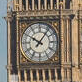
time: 10:06
